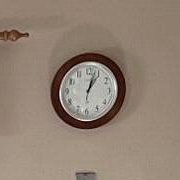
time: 1:02
